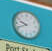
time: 9:41
